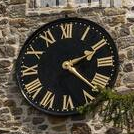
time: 2:22
